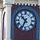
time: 10:34
